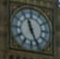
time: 11:25
